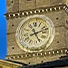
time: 5:11
